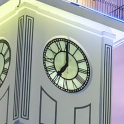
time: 6:59
